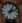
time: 1:11
